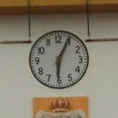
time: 6:04
